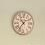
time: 10:36
